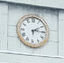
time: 3:10
